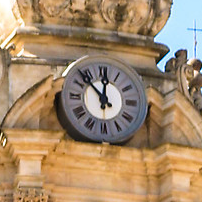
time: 11:52
